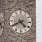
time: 4:40
